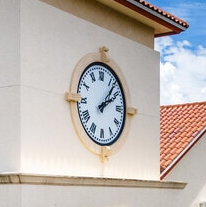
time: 2:06
